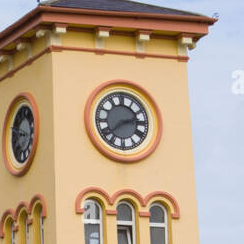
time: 2:38
